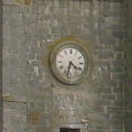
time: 4:32
